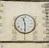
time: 11:29
